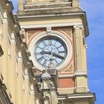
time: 9:18
